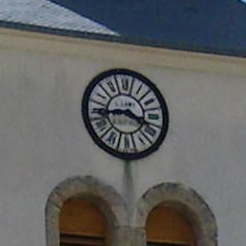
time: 3:43
